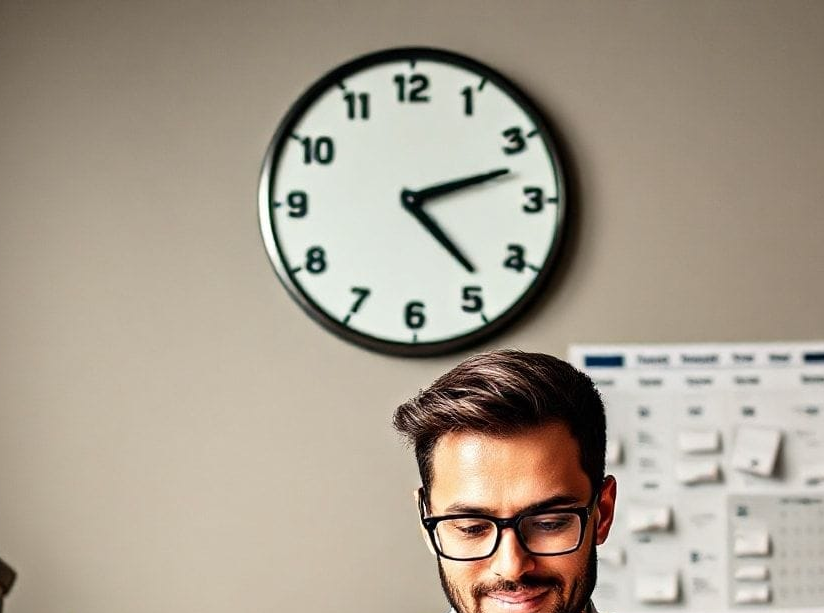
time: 2:23
